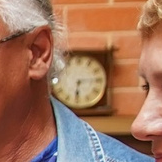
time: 6:14
